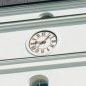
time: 9:07
